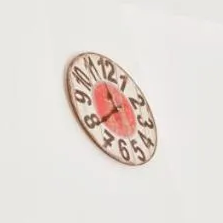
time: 11:38
